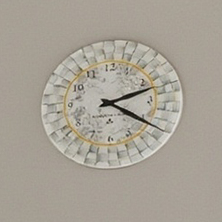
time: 2:19
